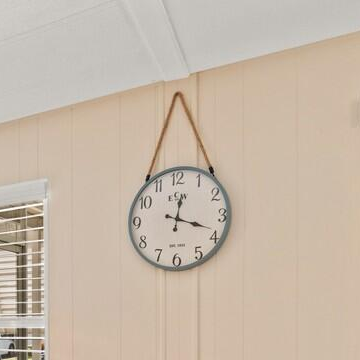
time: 12:18
